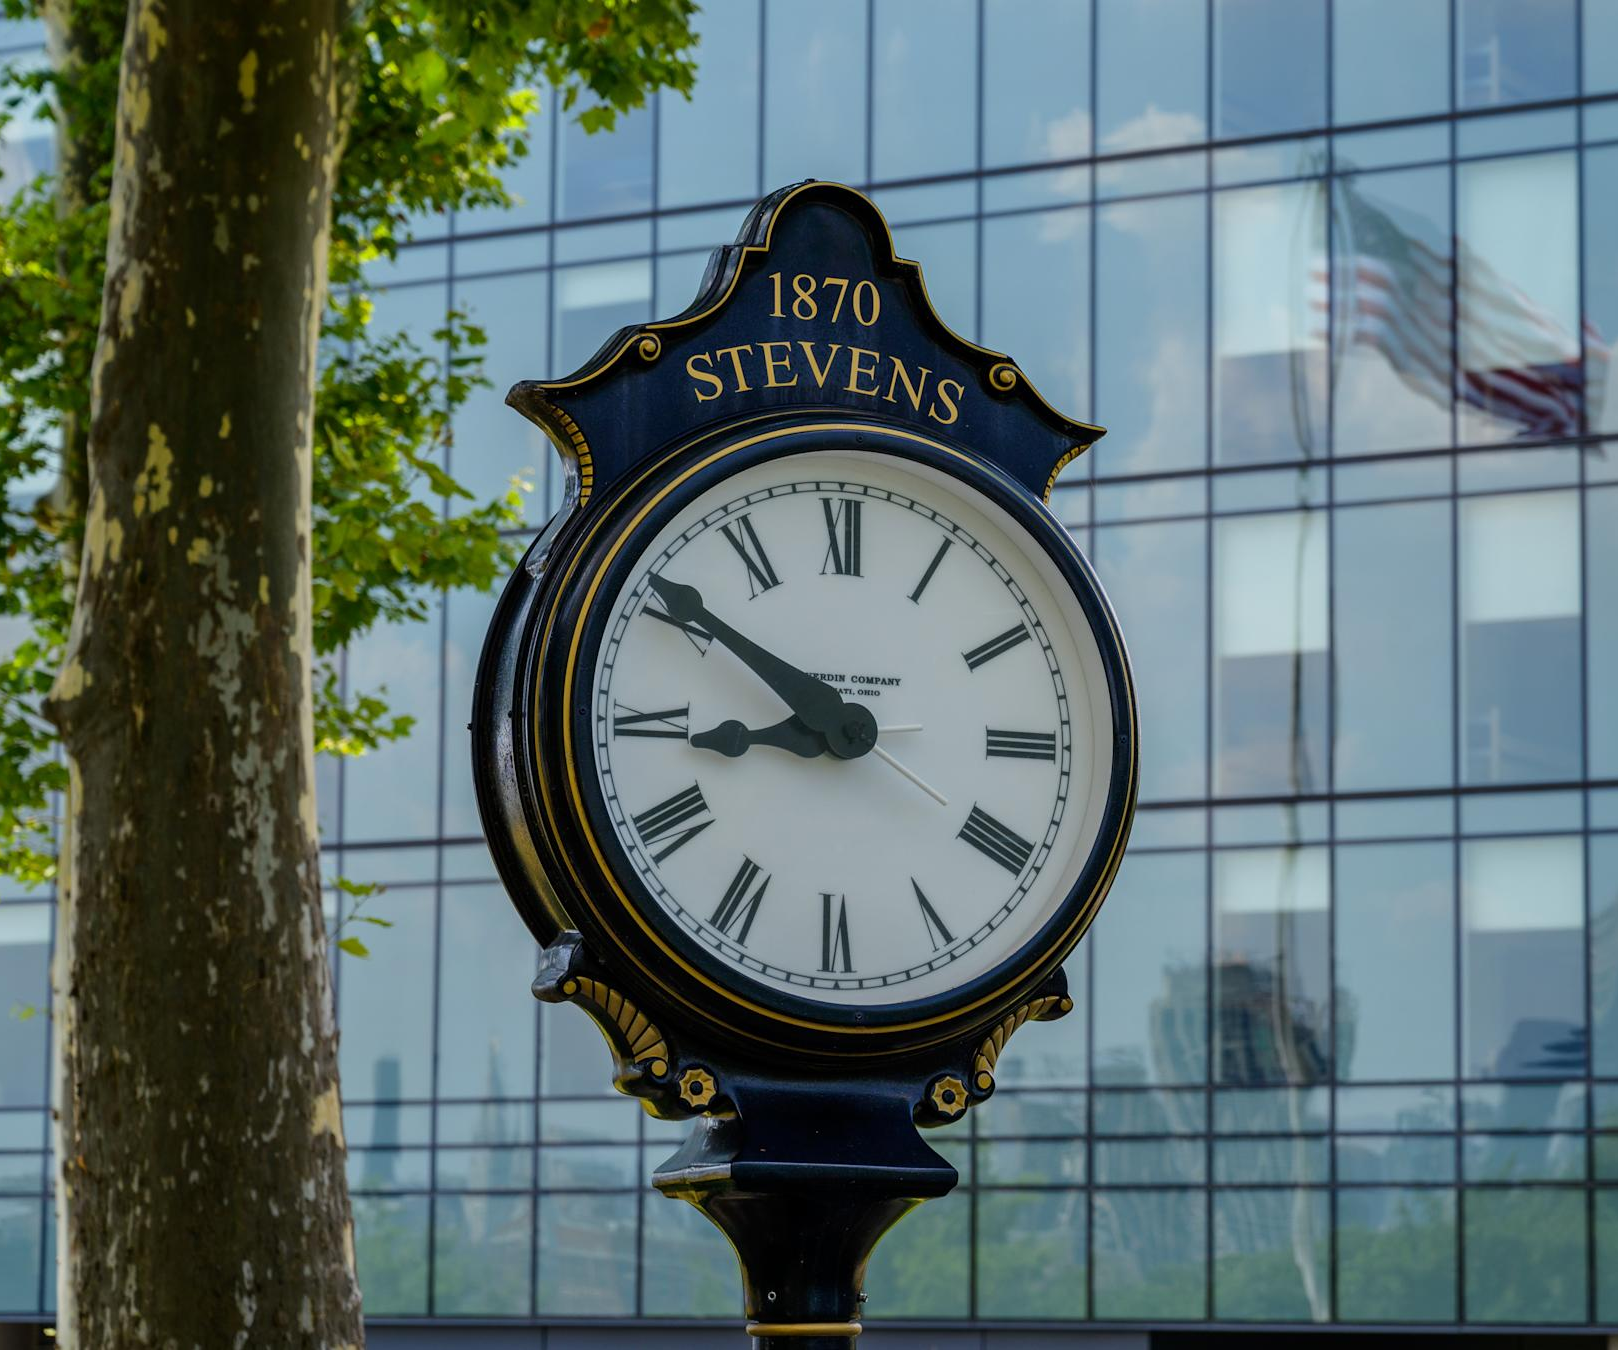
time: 8:50
